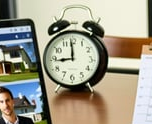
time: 8:59
